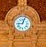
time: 9:03
